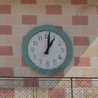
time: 1:01
